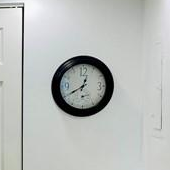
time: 12:40
